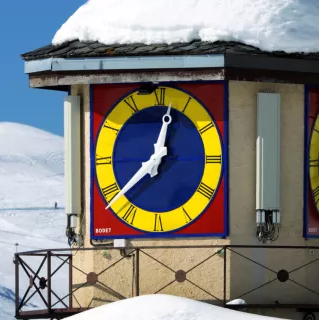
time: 12:38
